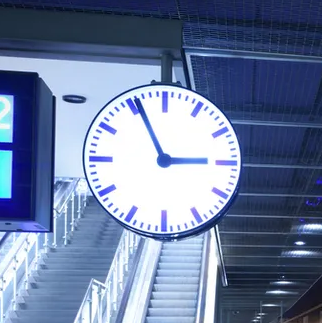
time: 2:56
